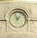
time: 12:57
